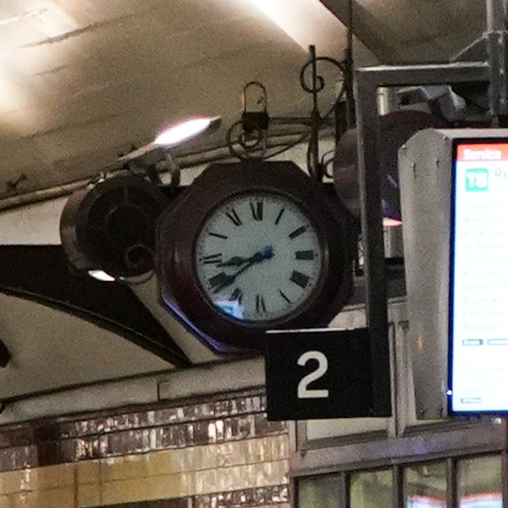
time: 8:38
